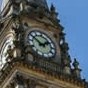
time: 1:50
